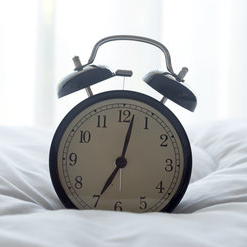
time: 7:02
